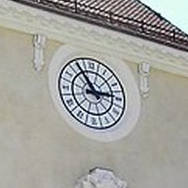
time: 2:54
